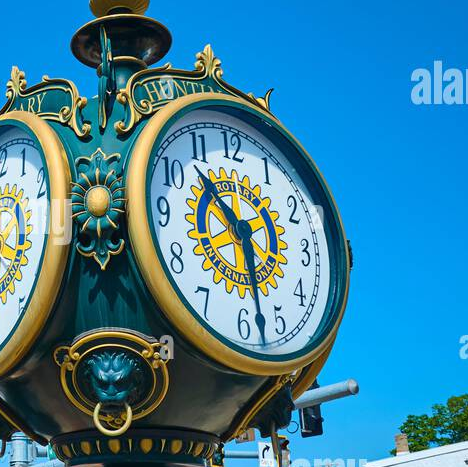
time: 10:28
